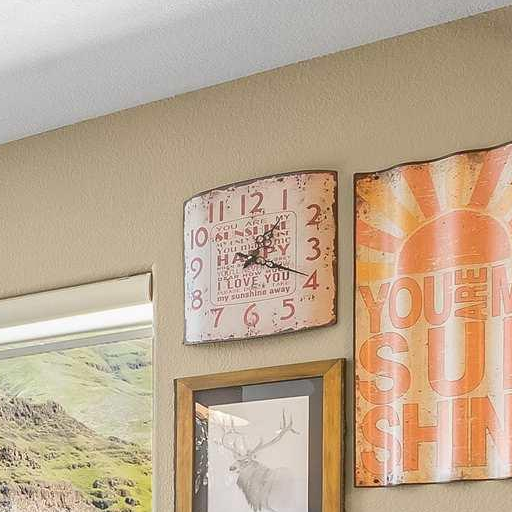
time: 1:18
